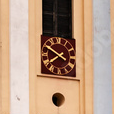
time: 7:49
